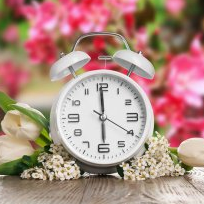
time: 5:59
